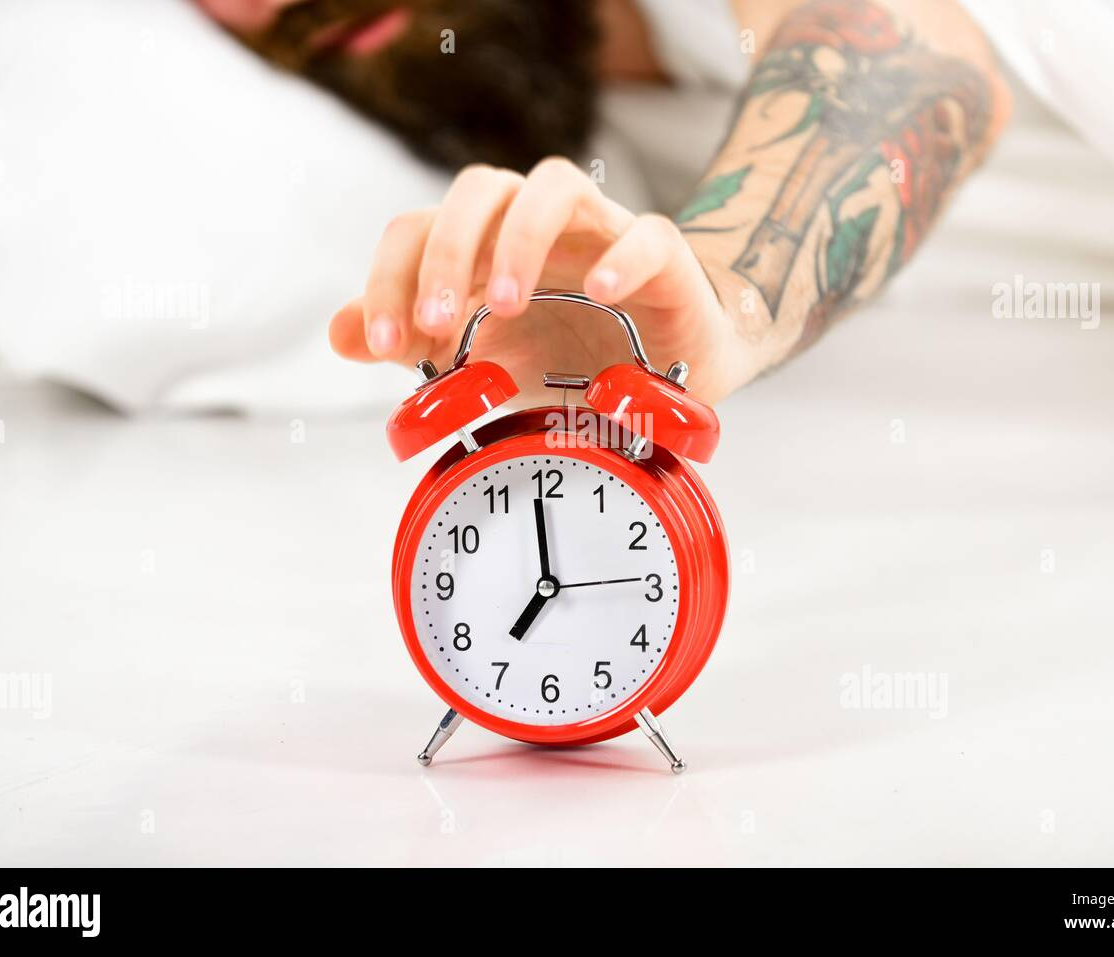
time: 6:58
